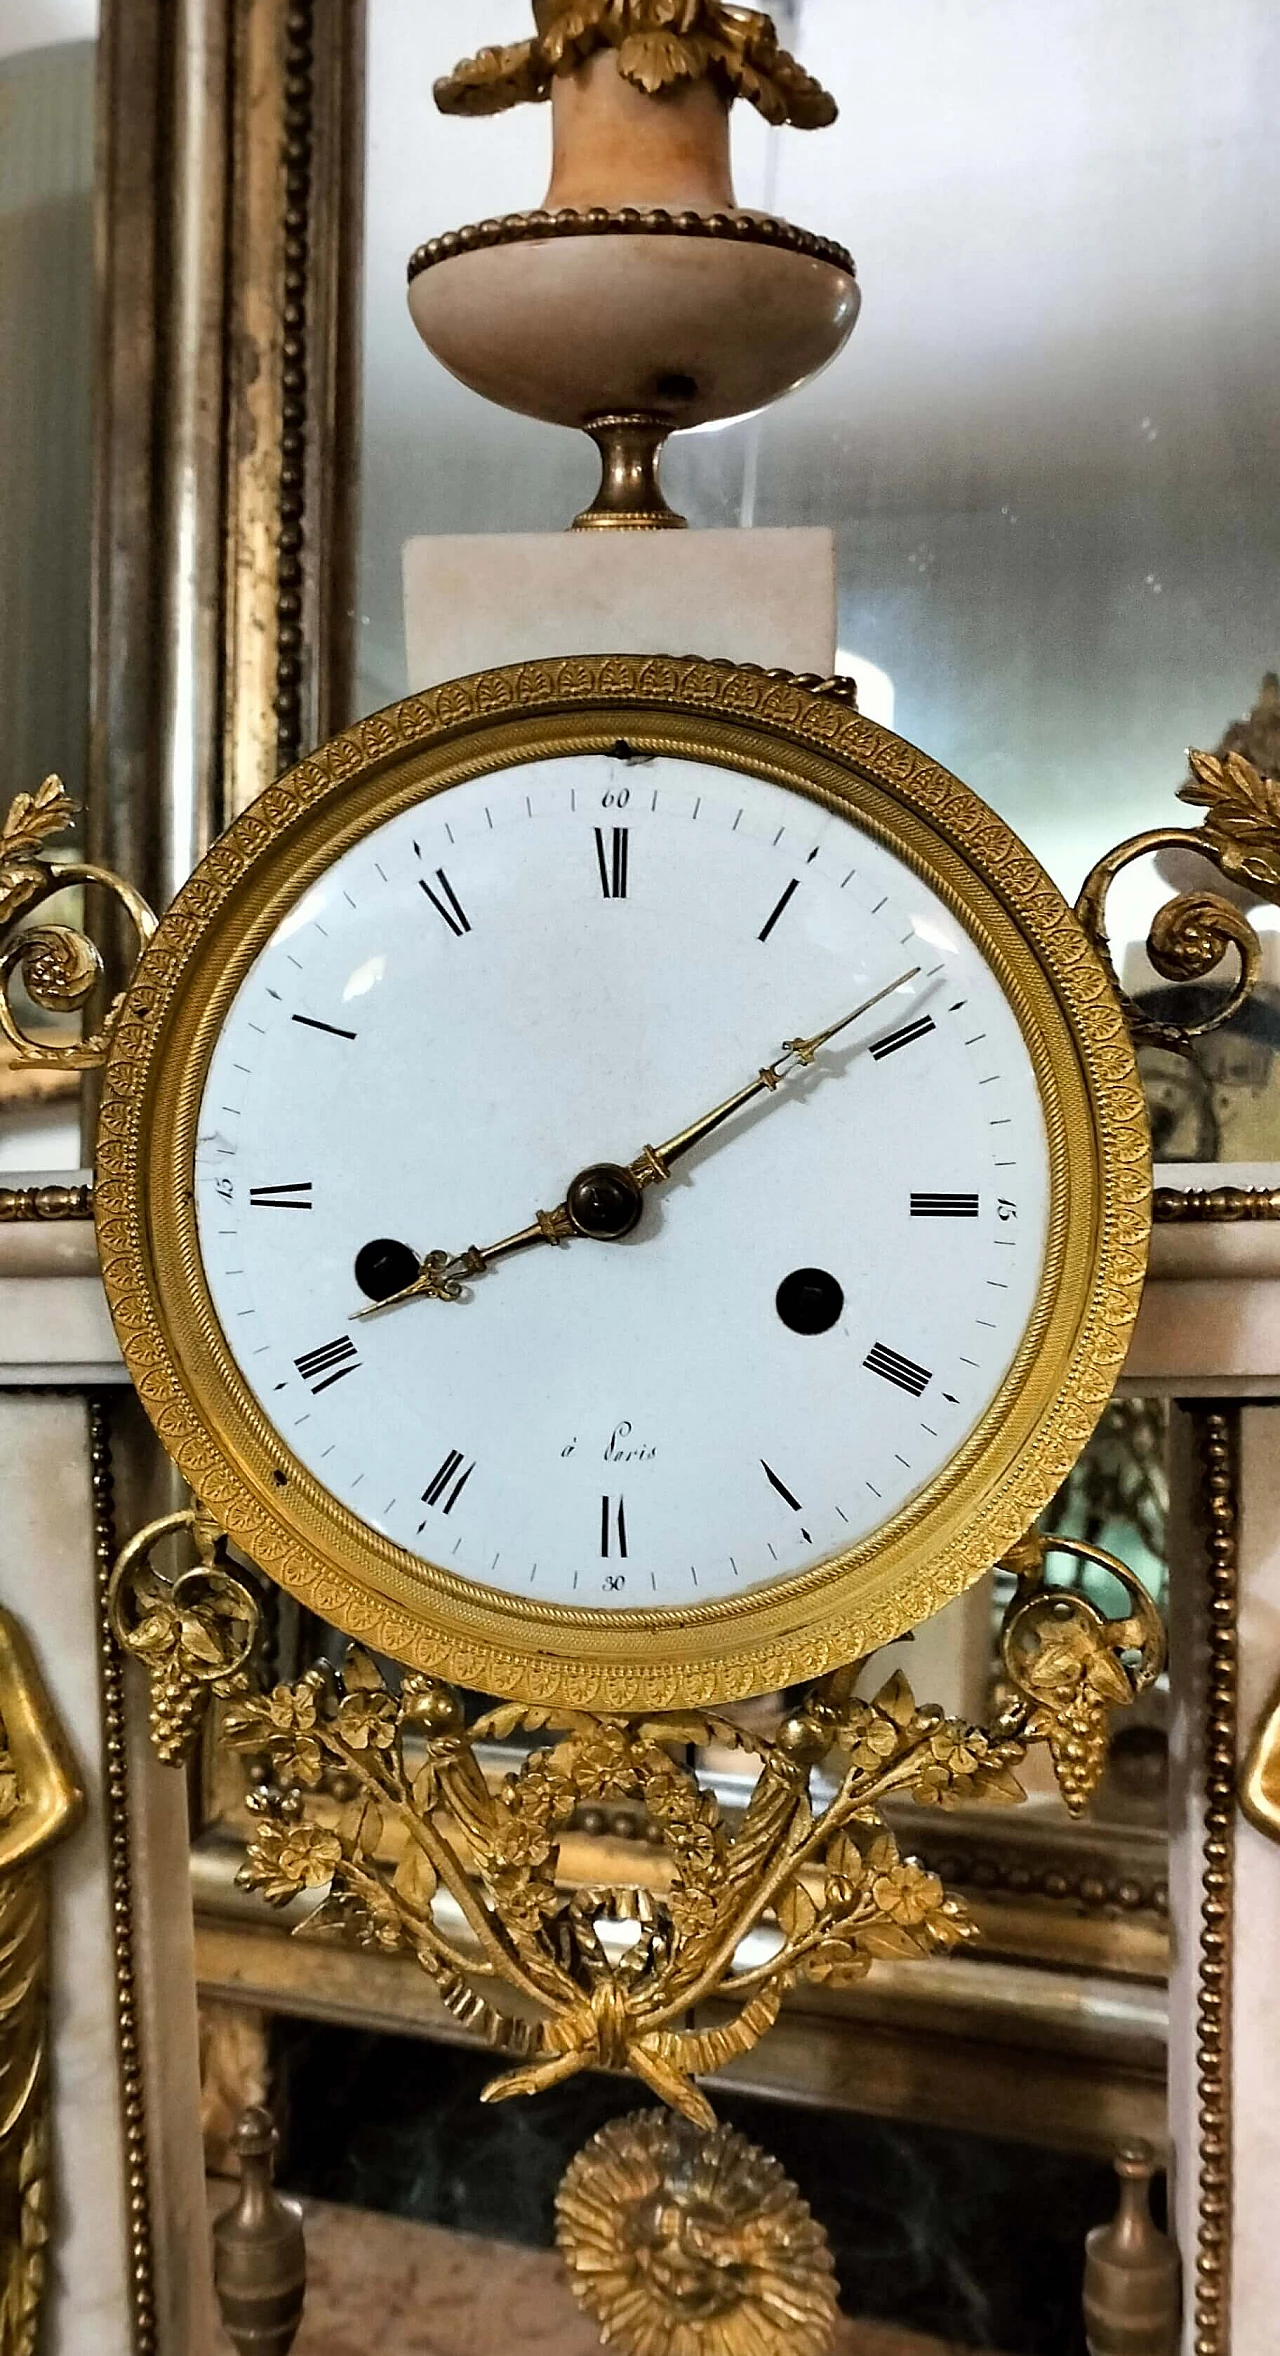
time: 8:09
